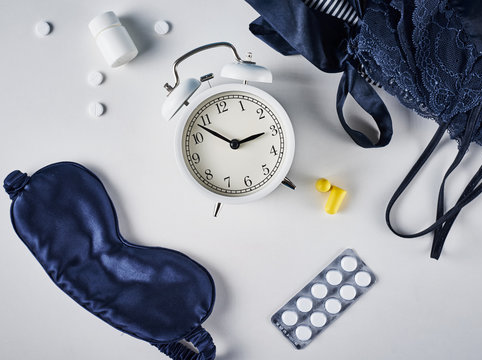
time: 2:53
